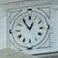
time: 12:54
